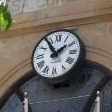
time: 1:54
